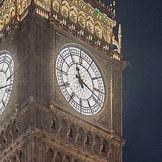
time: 11:17
